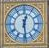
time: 12:28
